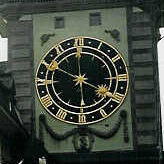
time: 3:50
